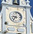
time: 8:36
